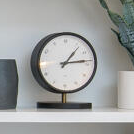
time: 1:13
